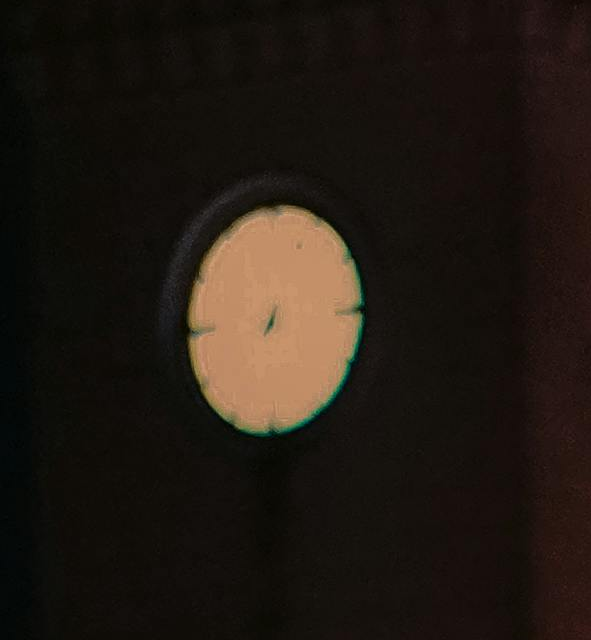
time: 7:32
